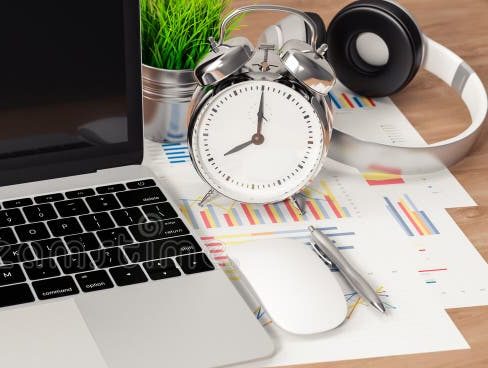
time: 8:00
